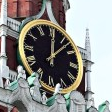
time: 12:07
